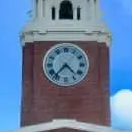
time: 4:37
